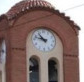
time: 10:47
